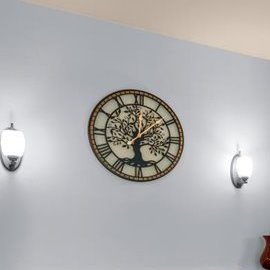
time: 5:59
